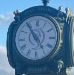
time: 4:54
